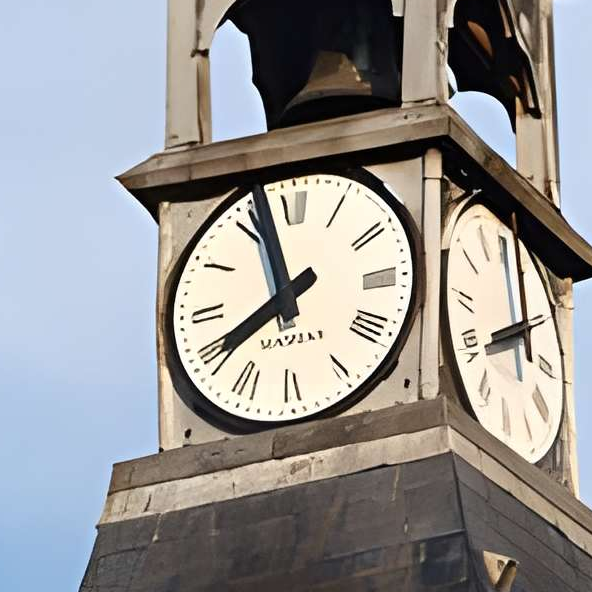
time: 7:57
